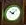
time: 10:07
